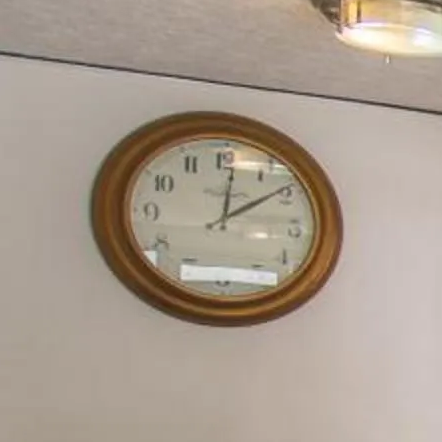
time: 12:08
